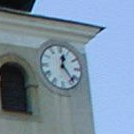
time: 12:23
